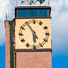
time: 5:54
